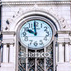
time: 9:59
